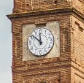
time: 11:51
